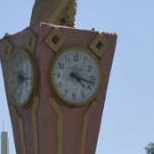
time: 4:17
